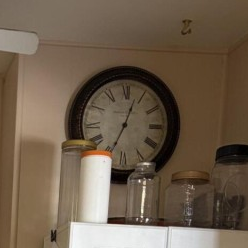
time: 12:34
